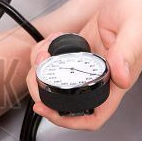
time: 9:20
